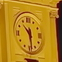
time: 10:28
